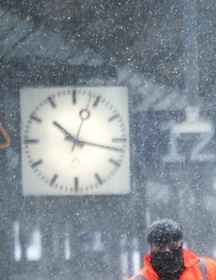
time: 10:17
